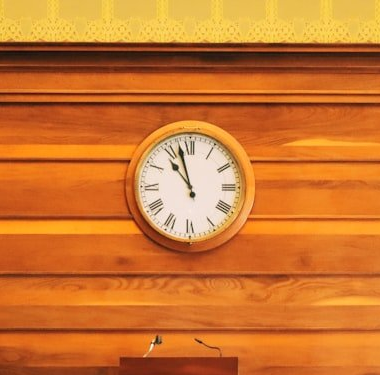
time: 10:57
